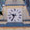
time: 9:34
